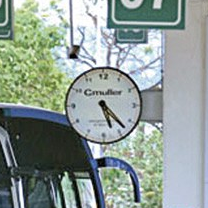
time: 5:22
